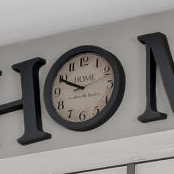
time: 9:49
